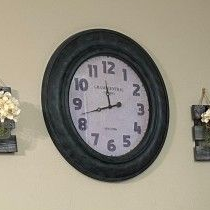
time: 11:42
